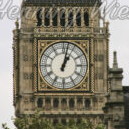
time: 1:02
